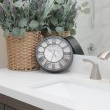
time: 6:32
